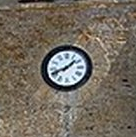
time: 1:41
